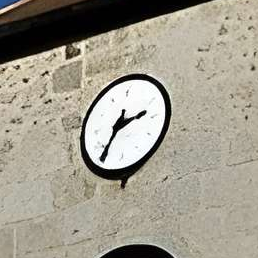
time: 2:35
